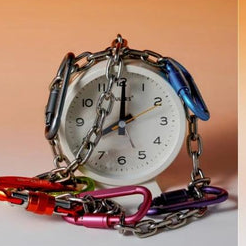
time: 8:00
